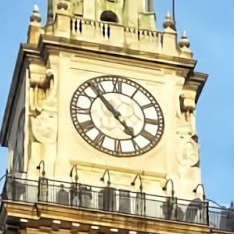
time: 4:52
